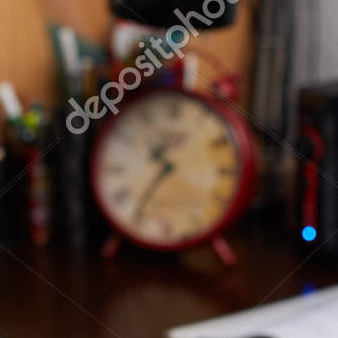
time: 10:36
